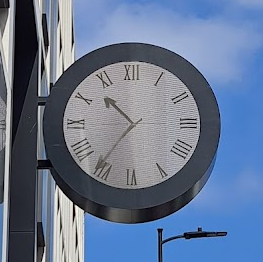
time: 10:35
